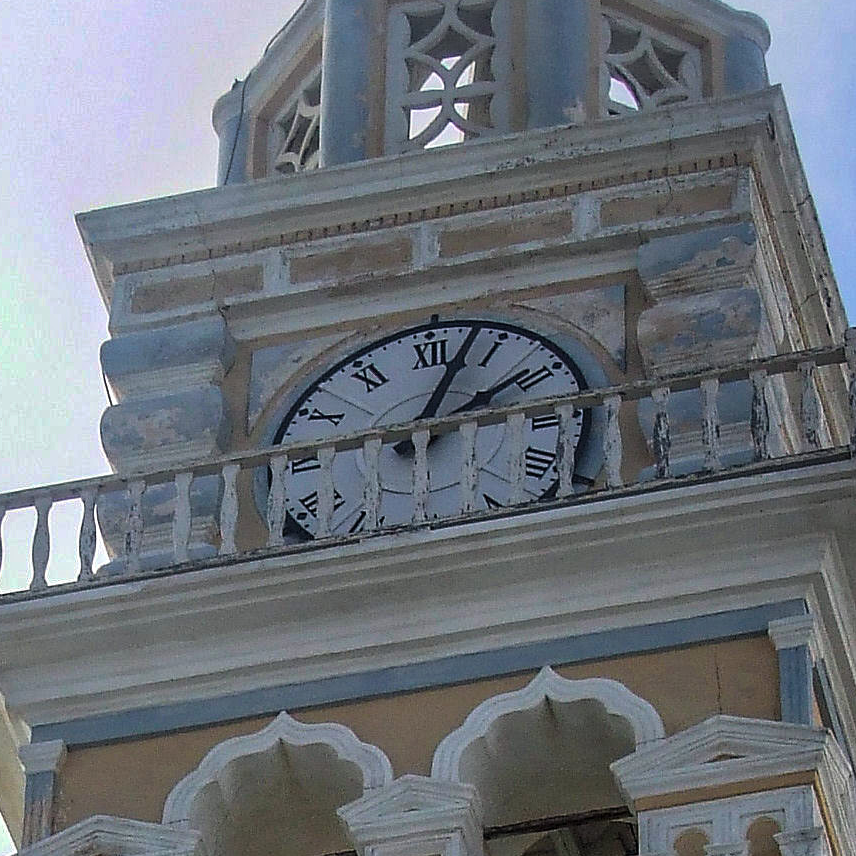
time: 2:02
